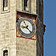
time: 8:21
